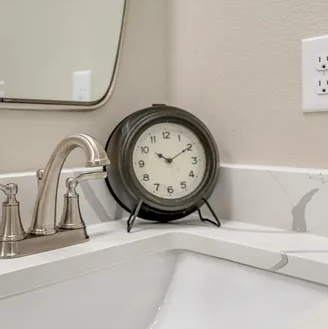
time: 10:09
